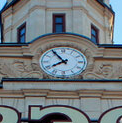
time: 7:54
